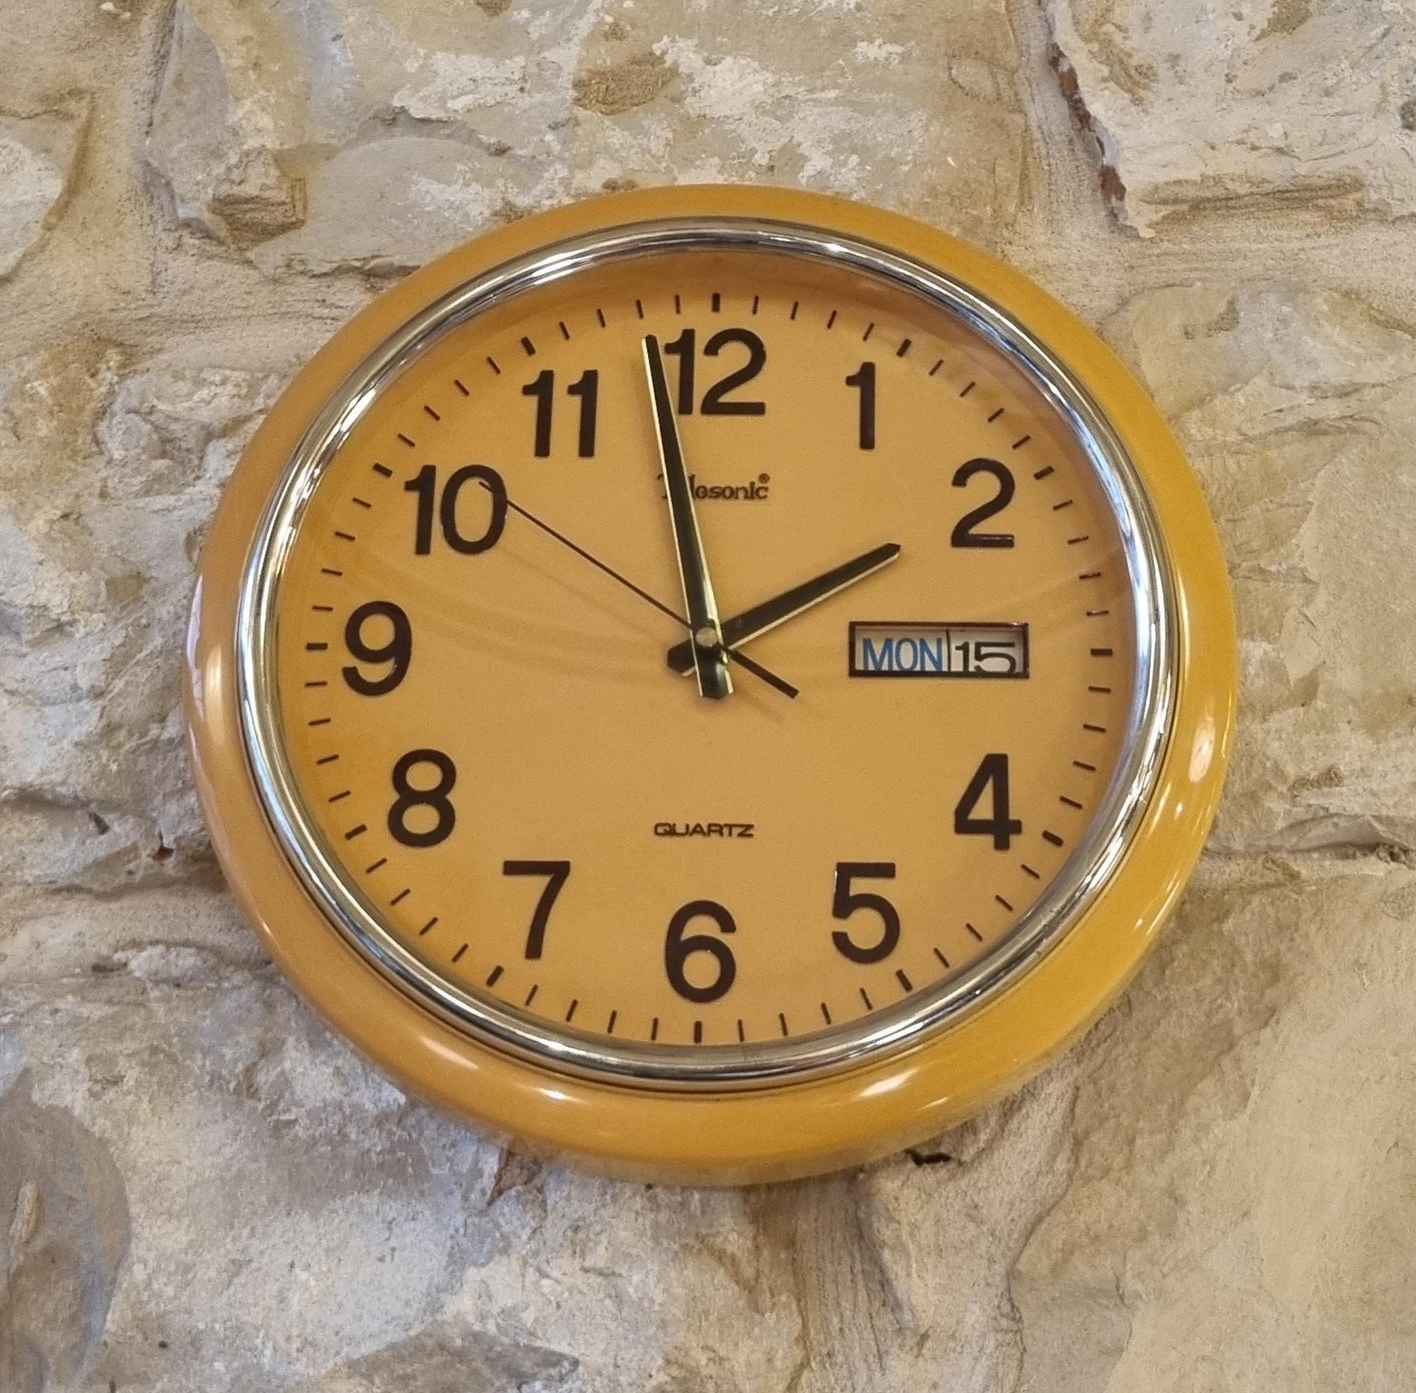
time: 1:58
